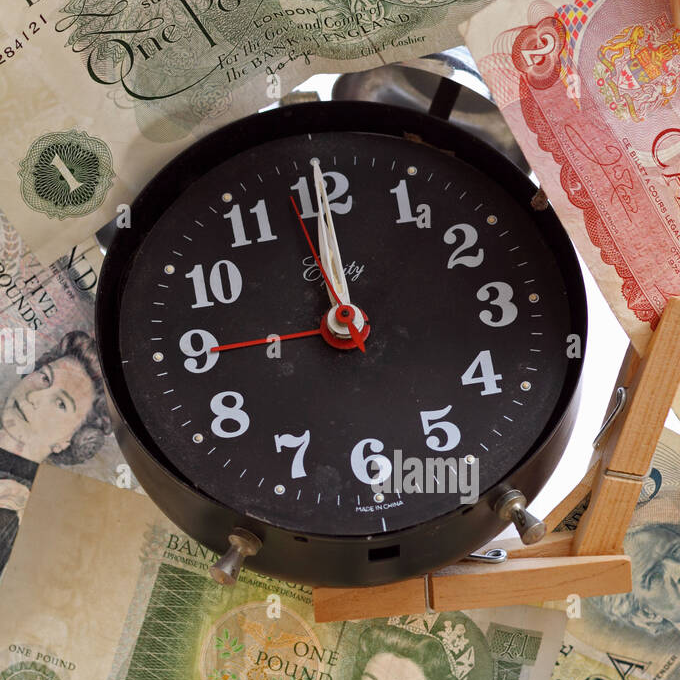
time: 12:00
